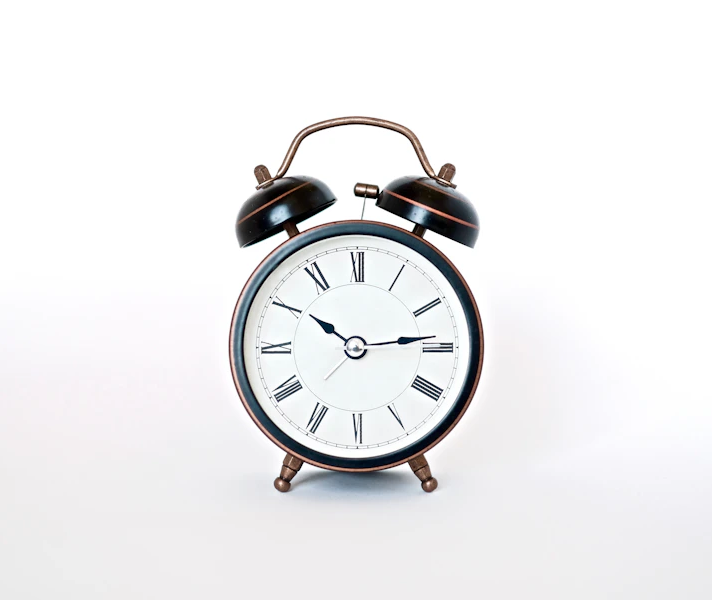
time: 10:13
